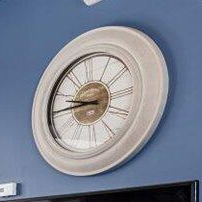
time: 8:45
